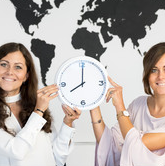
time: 7:59
